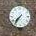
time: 7:36
